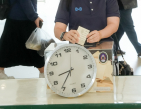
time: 8:36
